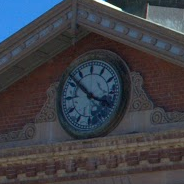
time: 3:52
